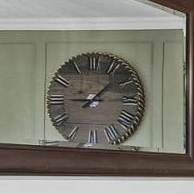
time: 9:07
